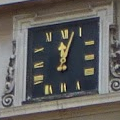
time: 12:03
